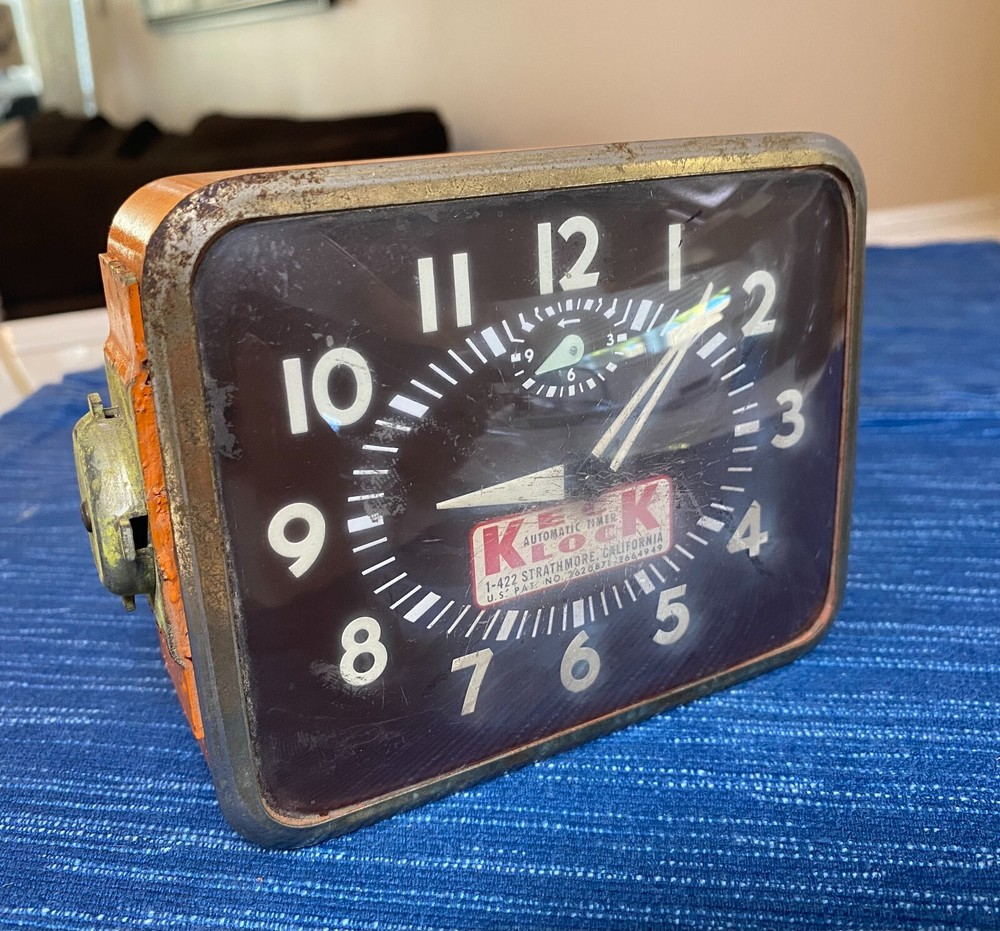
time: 9:07
